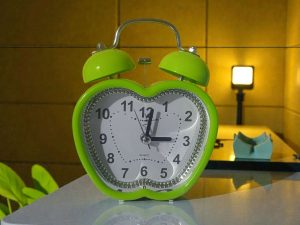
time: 3:02
